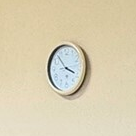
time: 3:54
